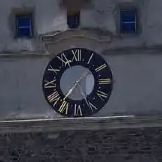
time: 1:36
